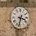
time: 3:32
